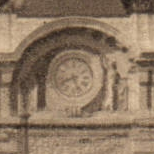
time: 8:26
